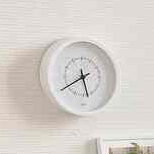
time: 5:40
